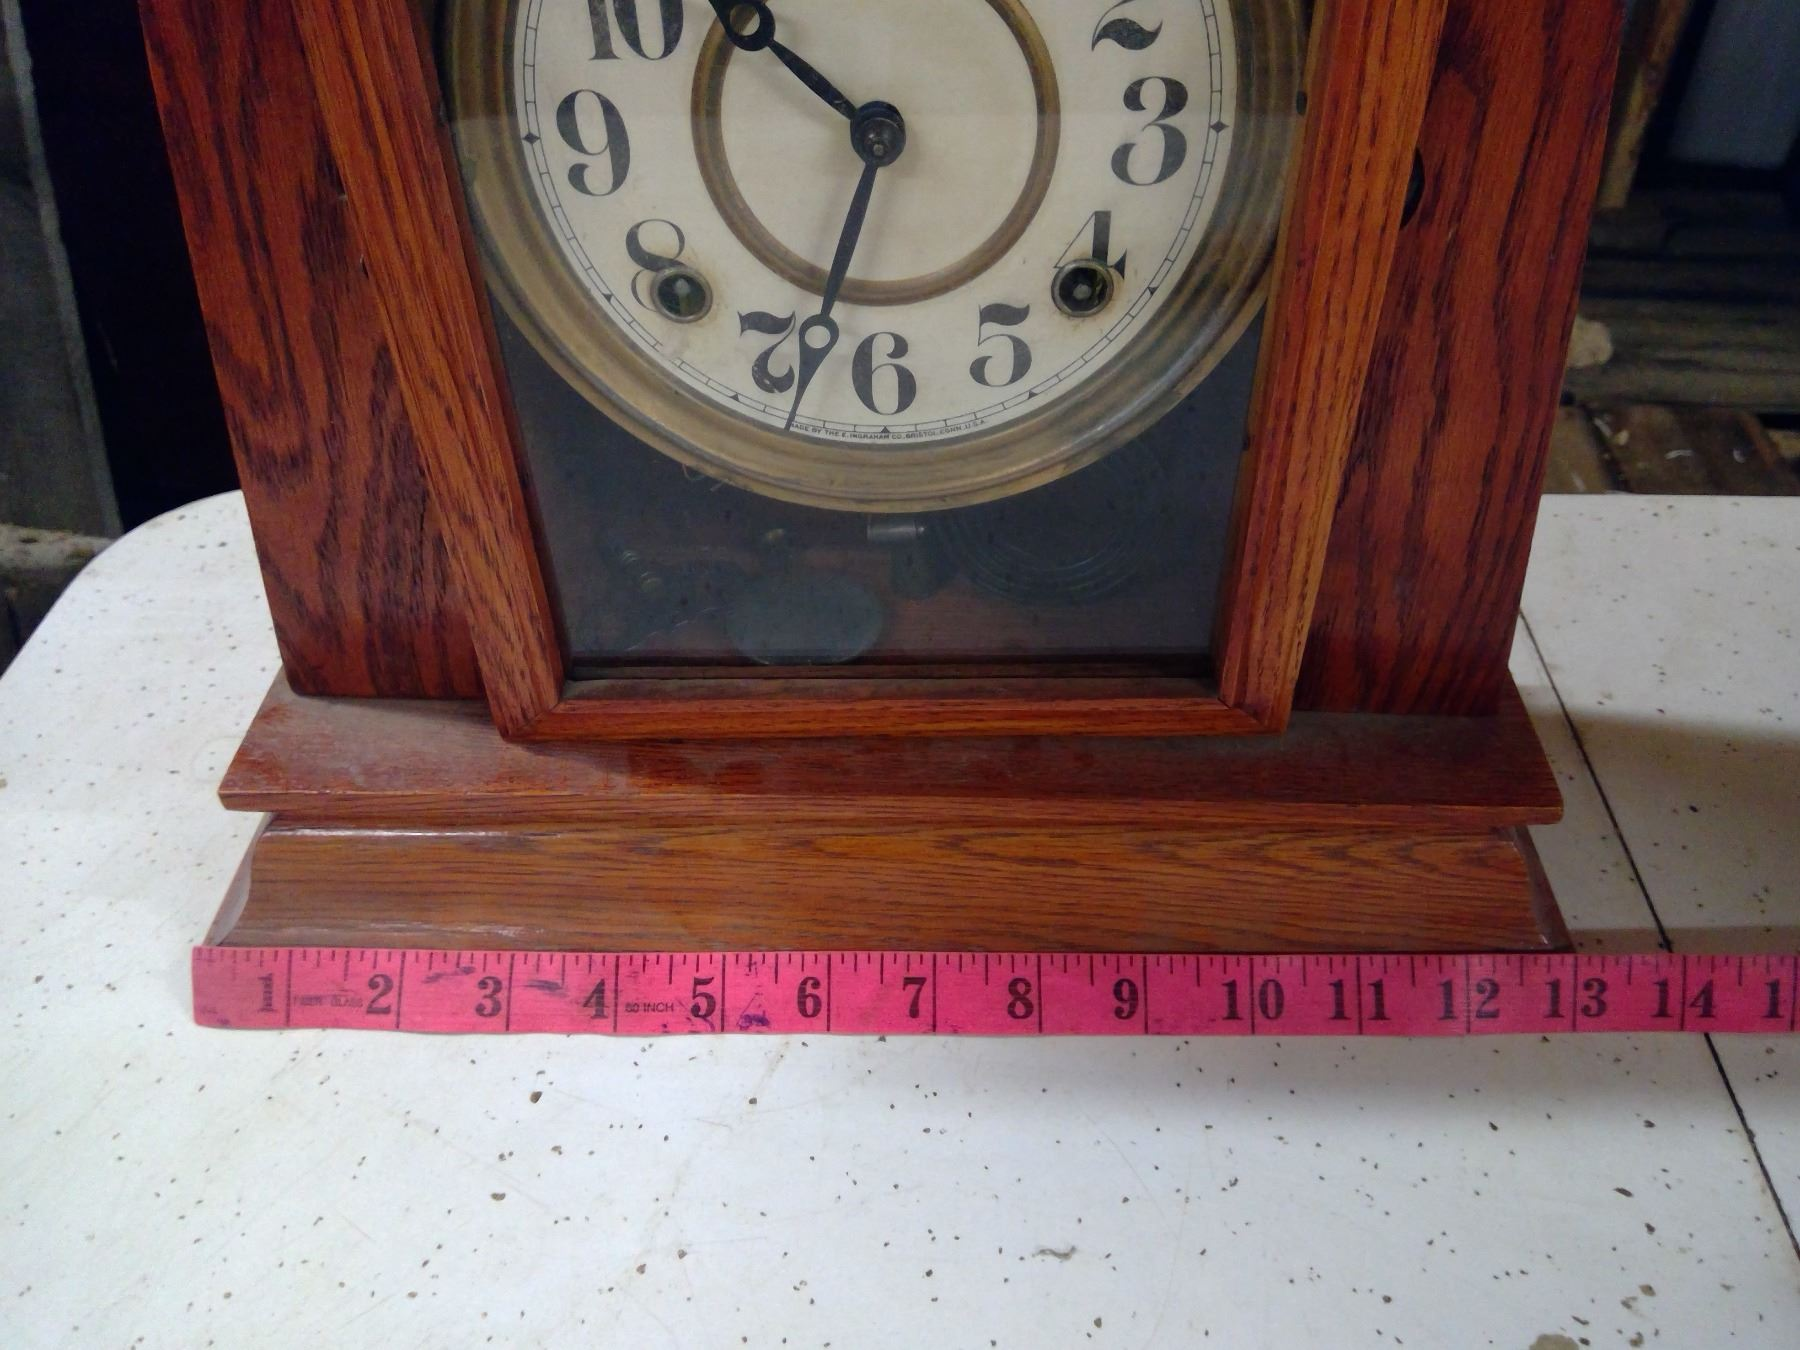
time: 10:33
